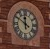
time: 11:50
